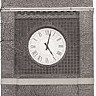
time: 5:02
